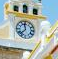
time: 11:37
